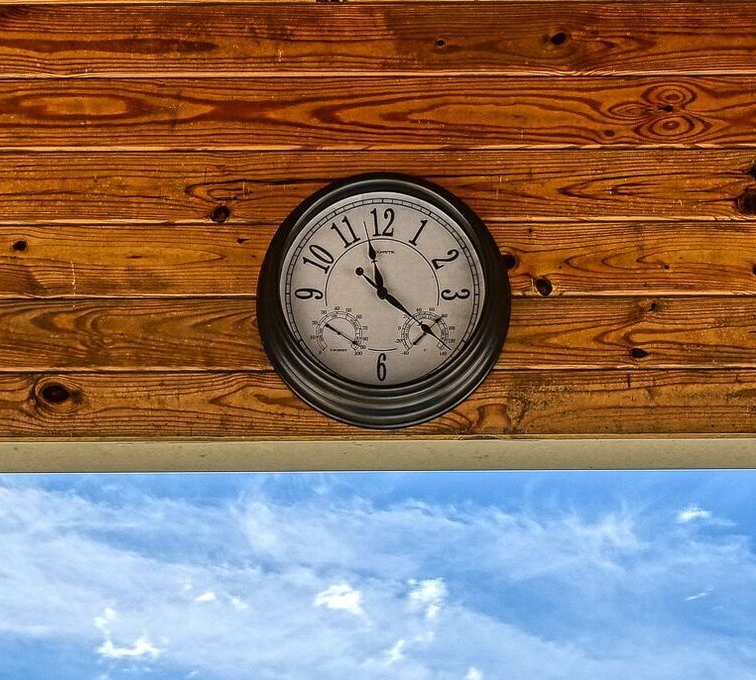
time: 11:21
